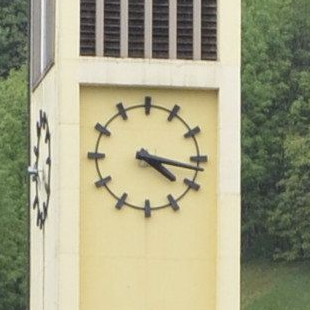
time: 4:16
